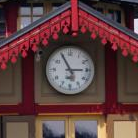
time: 2:55
